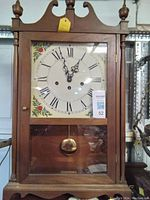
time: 12:57
